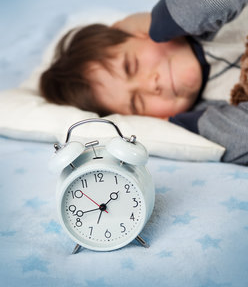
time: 1:42
